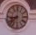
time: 8:38
